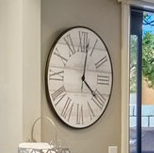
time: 4:02
